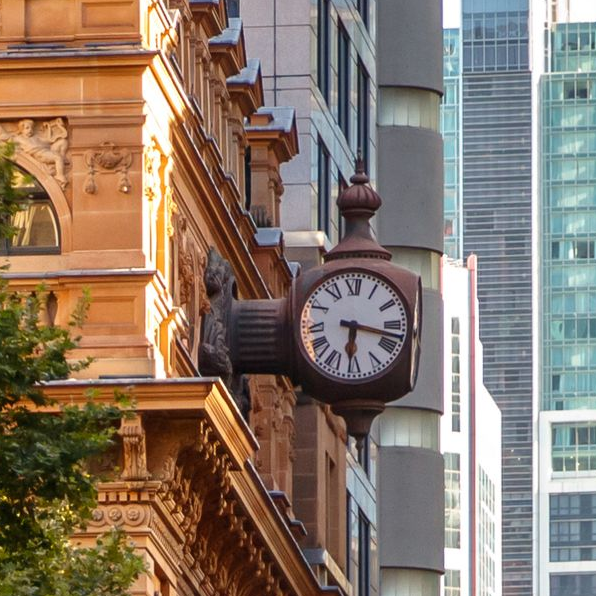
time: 6:17
